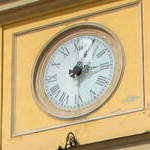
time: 3:05
